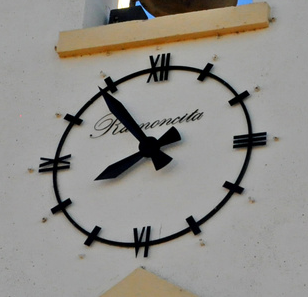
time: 7:53
